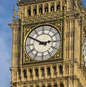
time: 2:50
